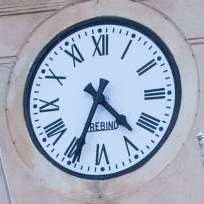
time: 4:34
